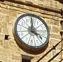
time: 4:00
